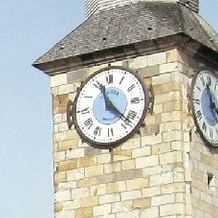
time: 11:22
